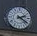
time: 2:21
